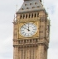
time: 11:50
